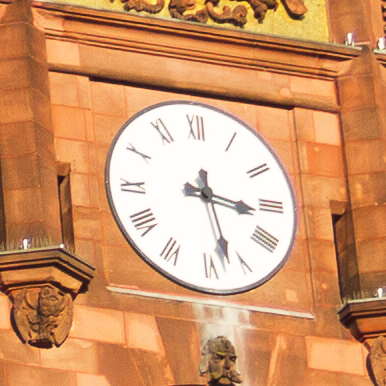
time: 3:27
